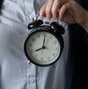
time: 8:00
